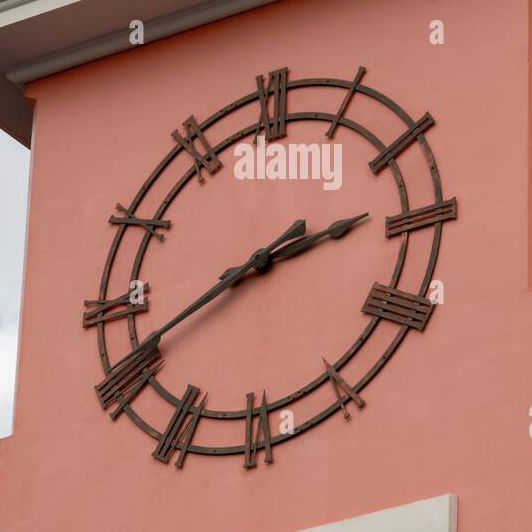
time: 2:40
